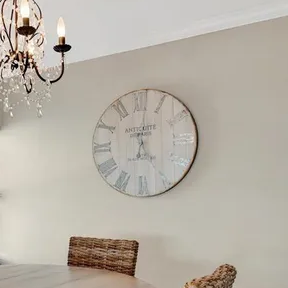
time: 5:01
